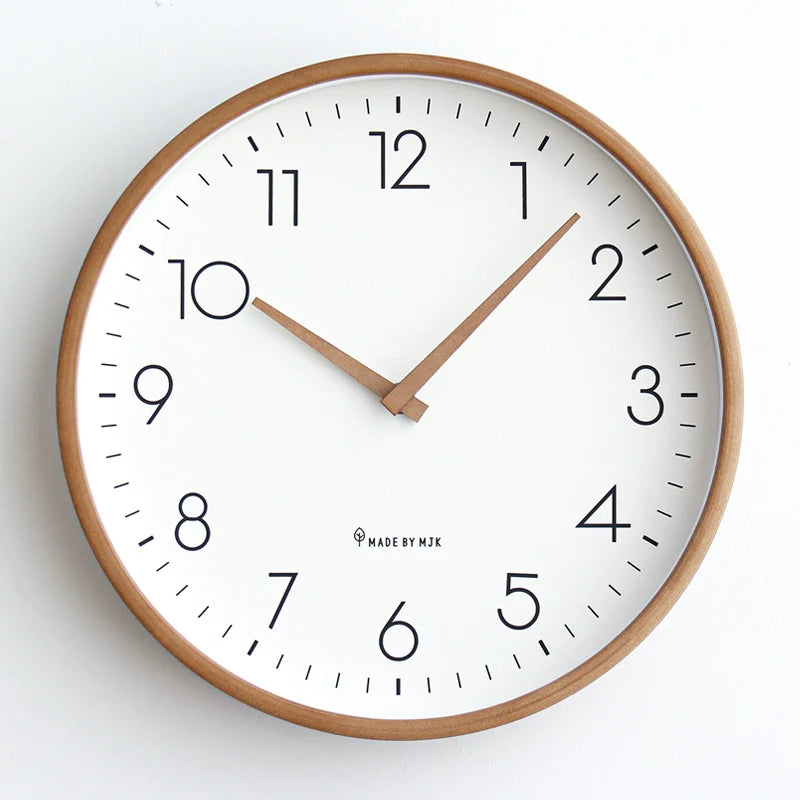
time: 10:07
